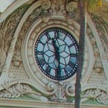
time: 11:28
